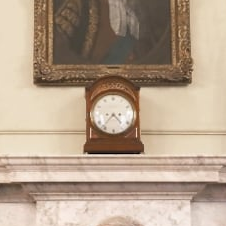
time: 4:36
